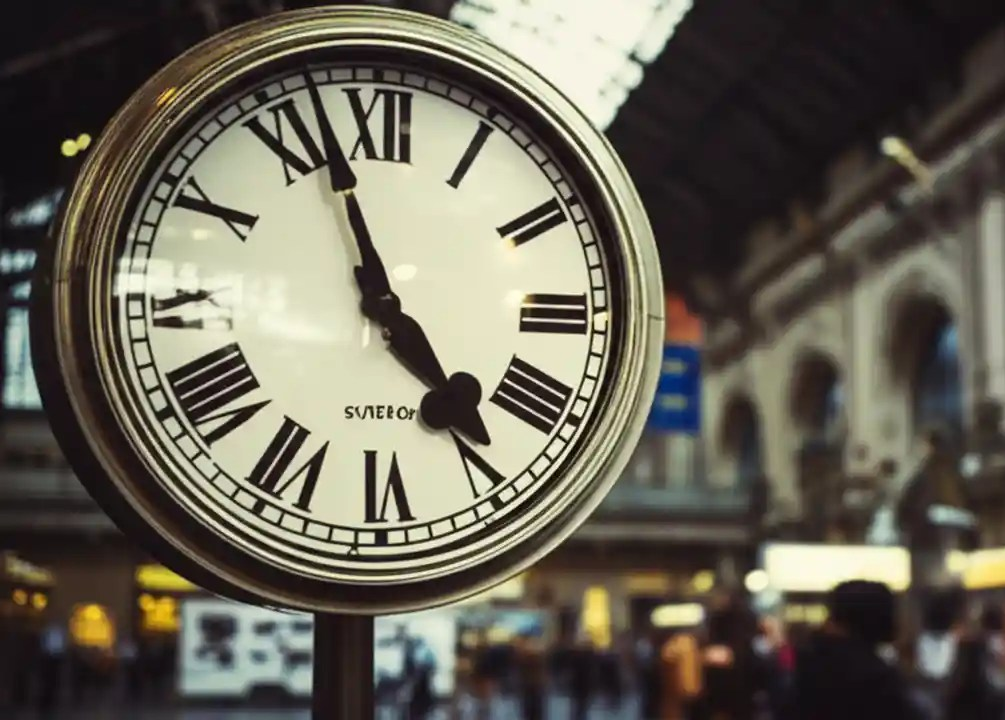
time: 4:57
